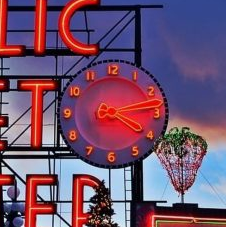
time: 4:13
